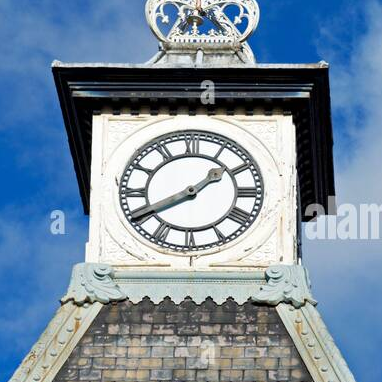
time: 1:40
